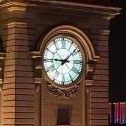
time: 9:08
